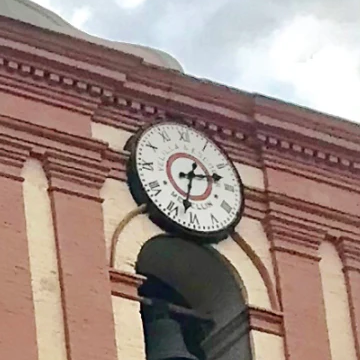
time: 2:32
